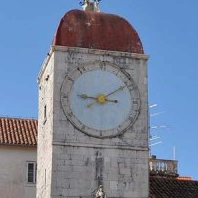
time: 9:09
